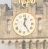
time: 12:24
